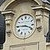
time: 3:45
